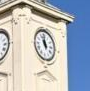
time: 10:58
